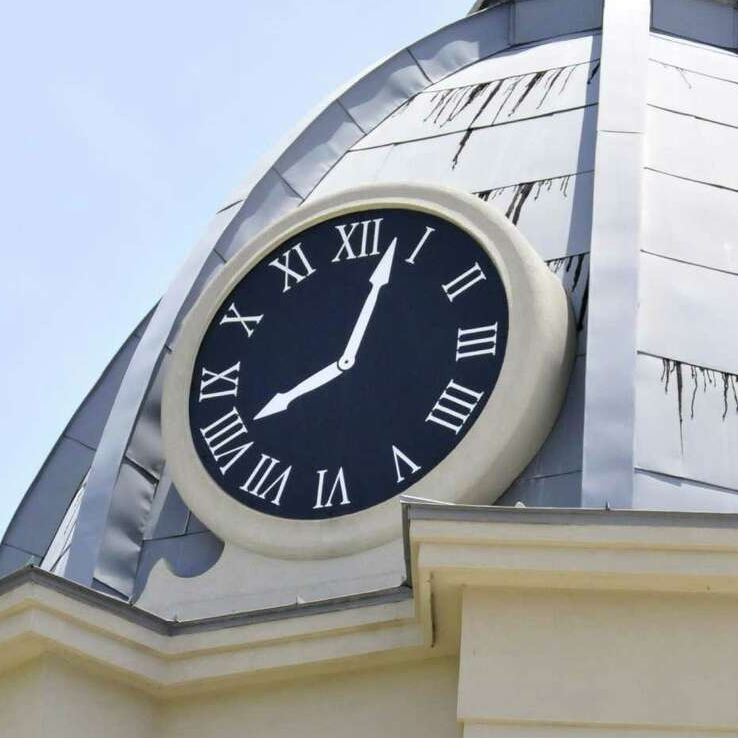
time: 8:03
